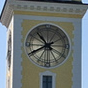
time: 10:40
